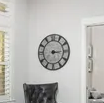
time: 3:14
